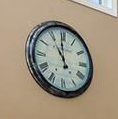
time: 10:59
